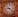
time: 9:22
